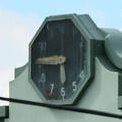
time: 5:45
